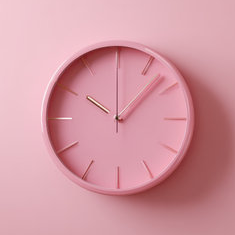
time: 10:07
